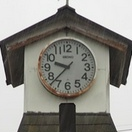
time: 9:37
